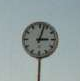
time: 3:02
